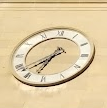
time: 6:37
